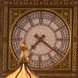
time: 7:21
